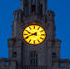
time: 9:42
